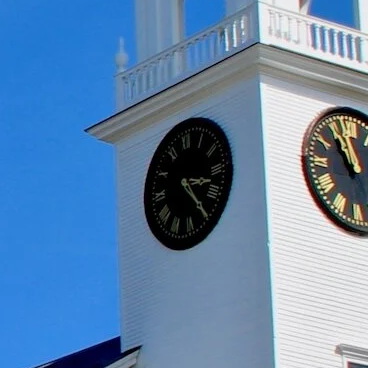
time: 3:24
